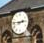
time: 2:45
